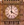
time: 4:00
